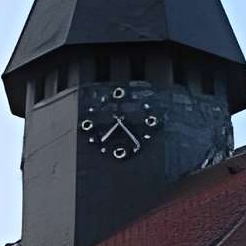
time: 7:23
